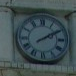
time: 2:09
